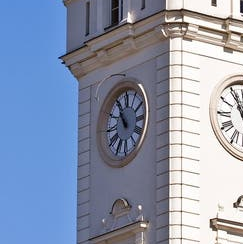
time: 10:55
